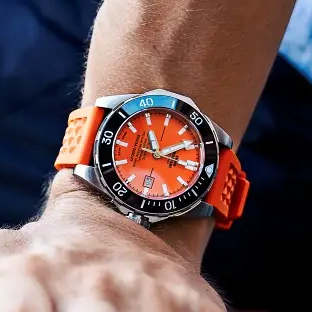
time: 11:13
